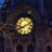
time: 8:11
